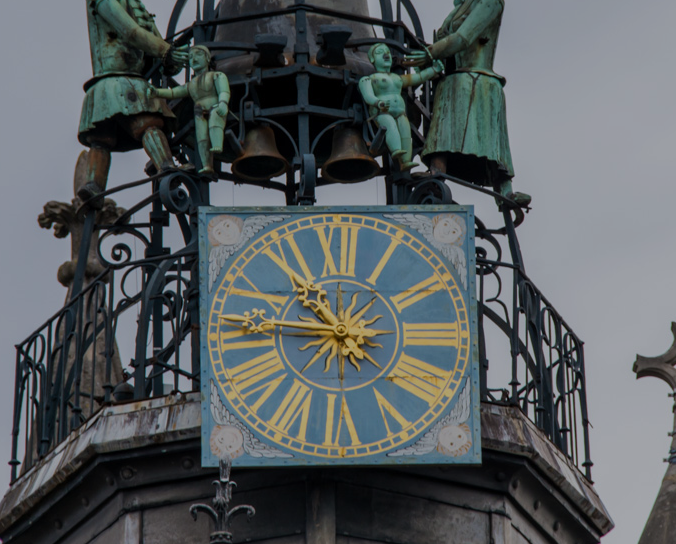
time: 10:45
